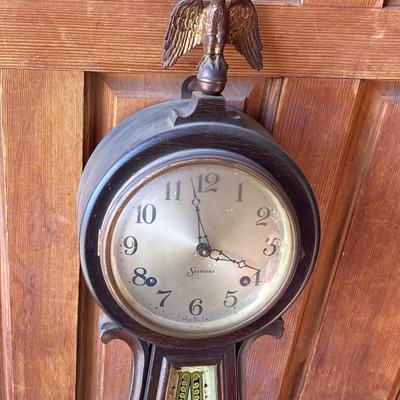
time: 3:58
